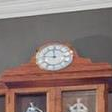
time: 11:46
